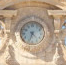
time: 4:33
